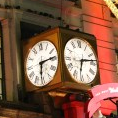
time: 6:14
